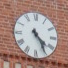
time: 4:24
